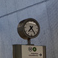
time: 7:24
